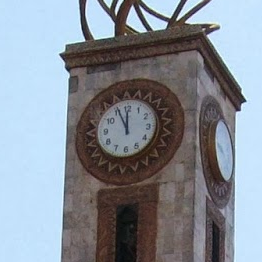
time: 11:55
